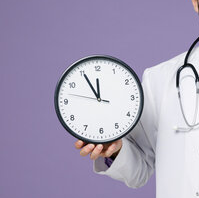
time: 11:55
